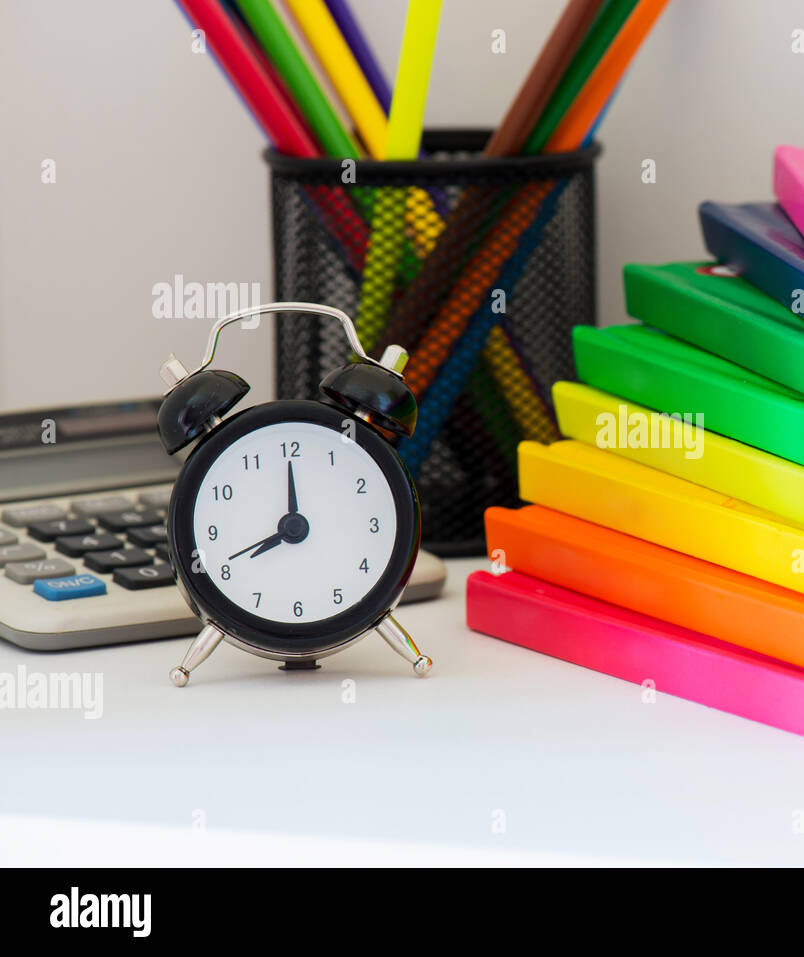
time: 8:00
